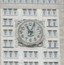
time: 11:03
